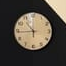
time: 10:44
